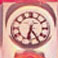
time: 6:24
